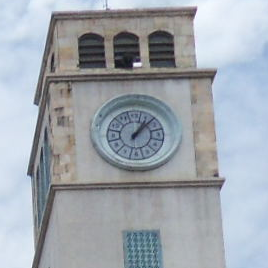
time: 1:07
